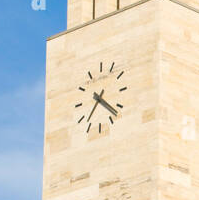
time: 7:22
